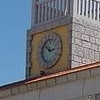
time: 2:52
